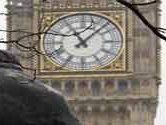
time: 11:07
